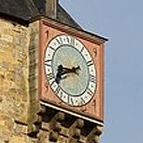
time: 8:40
